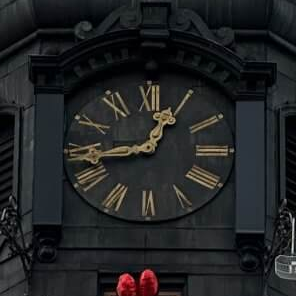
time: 12:43
